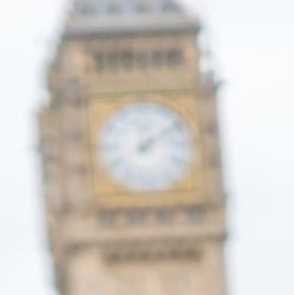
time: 12:09
